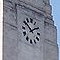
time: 1:51
